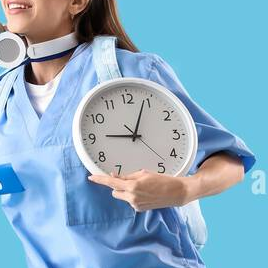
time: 9:03
